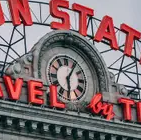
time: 6:05
